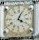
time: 4:04
